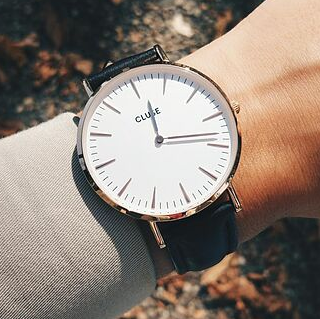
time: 11:13
